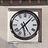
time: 5:07
